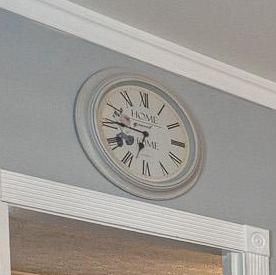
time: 6:45
